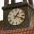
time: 1:18
